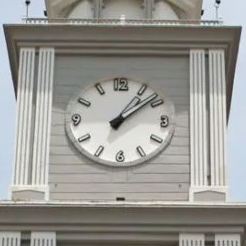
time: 1:08
